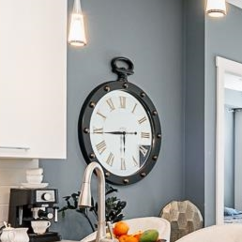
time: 5:44
